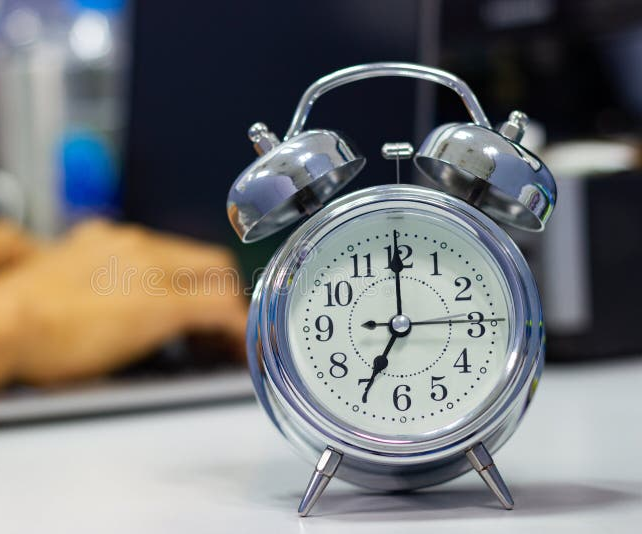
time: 7:00
